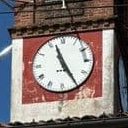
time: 11:24
